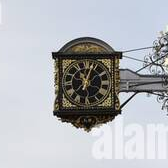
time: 11:02
